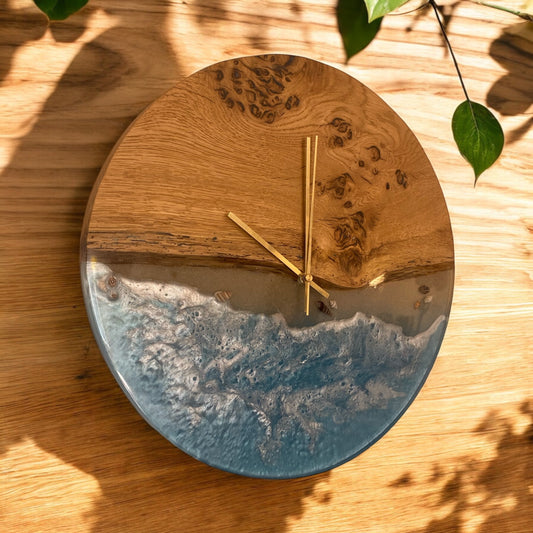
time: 11:46
